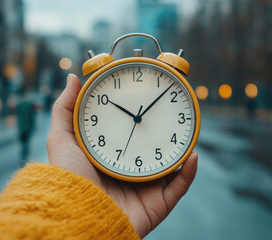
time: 10:07
